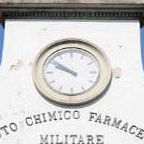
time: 9:51
